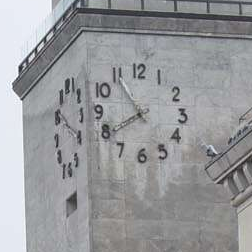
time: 7:54
